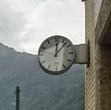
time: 12:07
